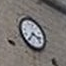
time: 3:35
